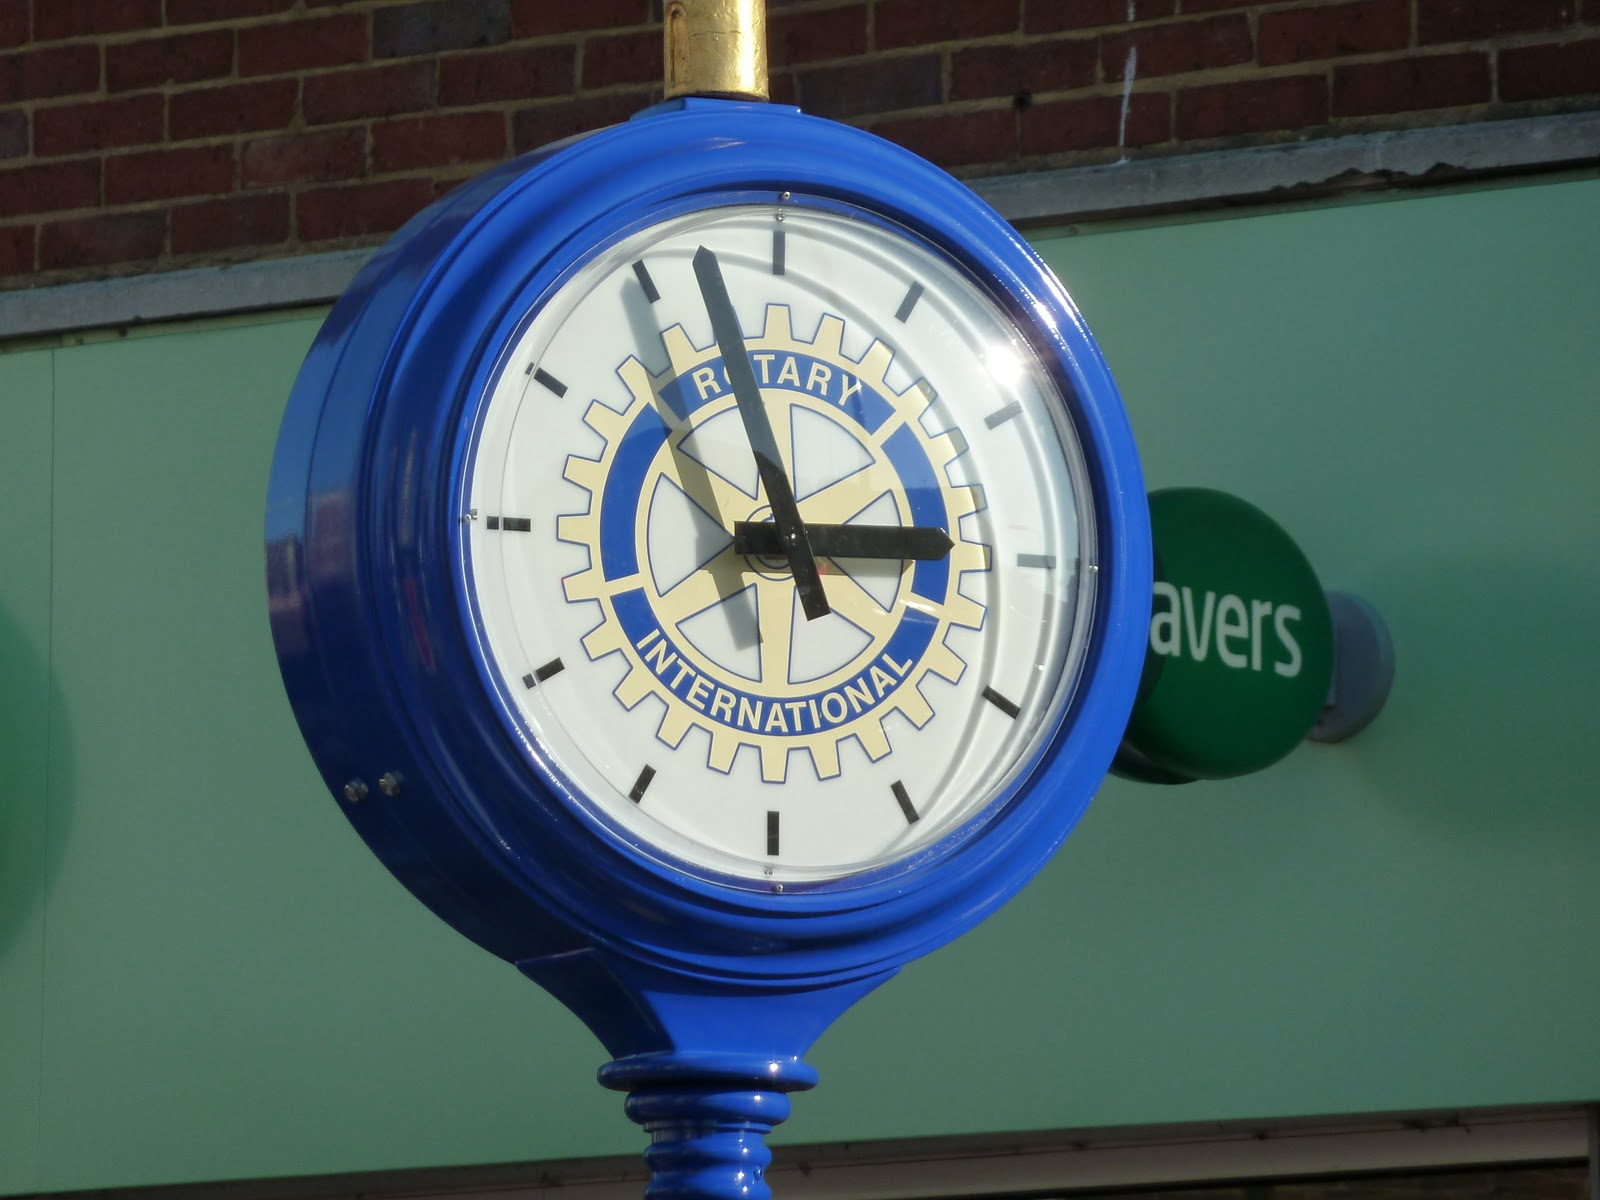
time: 2:56
